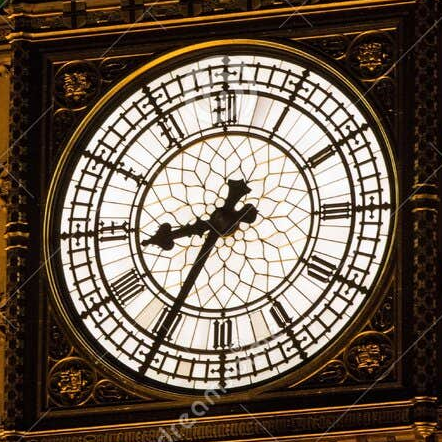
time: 8:34
